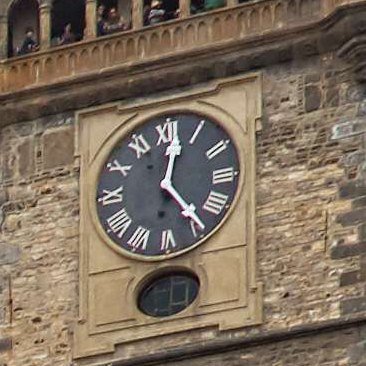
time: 12:23
